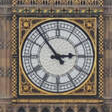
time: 2:53
